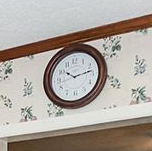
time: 10:13
